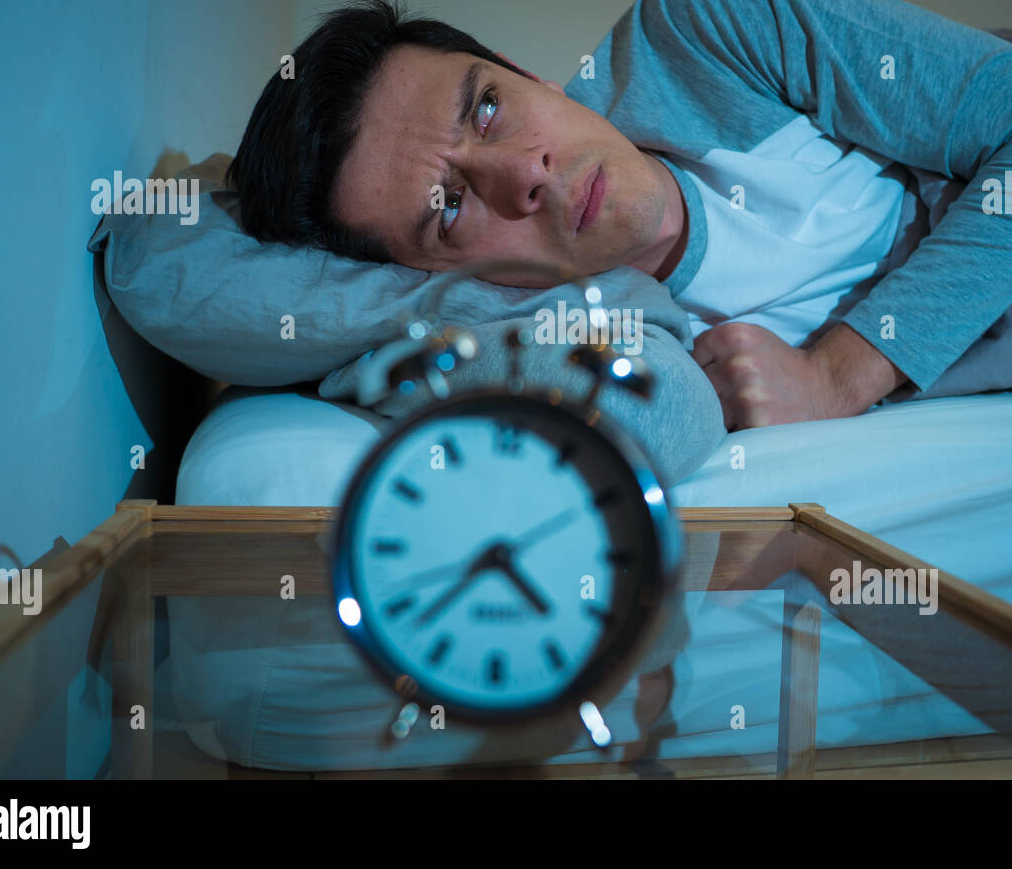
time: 4:37
